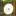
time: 4:42
